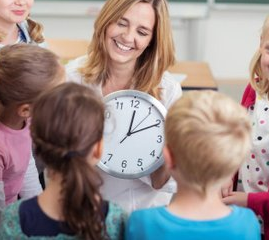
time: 12:10
